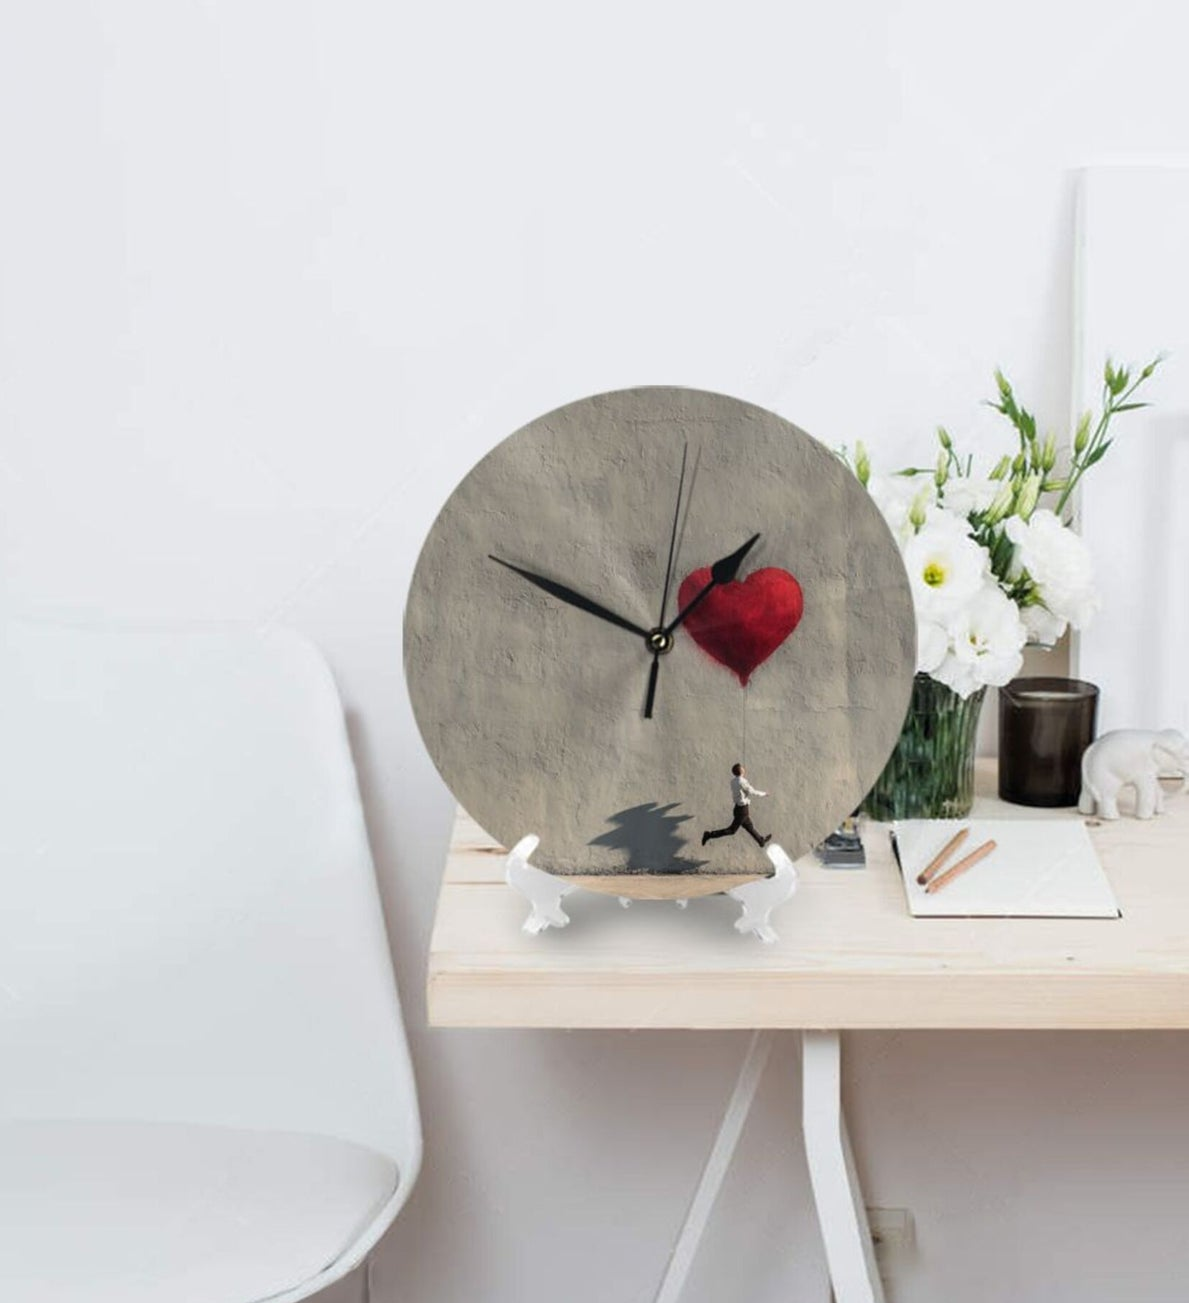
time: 1:49
